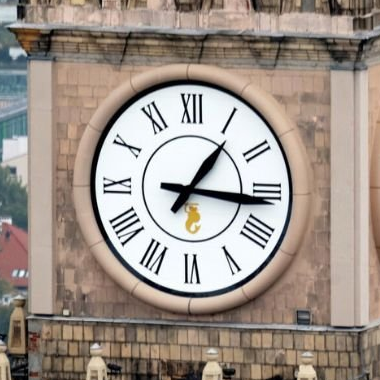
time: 1:16
